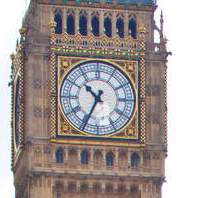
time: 10:34
